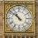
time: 10:51
